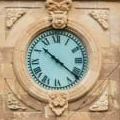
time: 10:21
